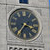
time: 3:35
